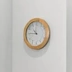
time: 10:45
